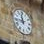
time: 11:44
